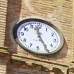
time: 4:58
